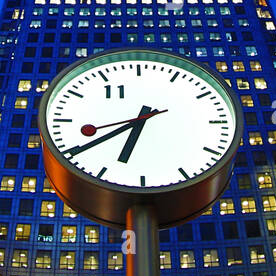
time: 6:39
